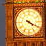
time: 4:19
